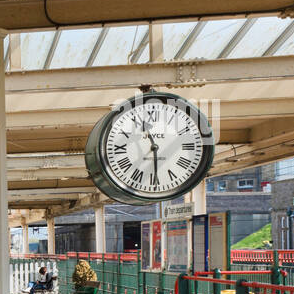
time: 11:29
